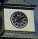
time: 1:53
